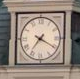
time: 7:19
